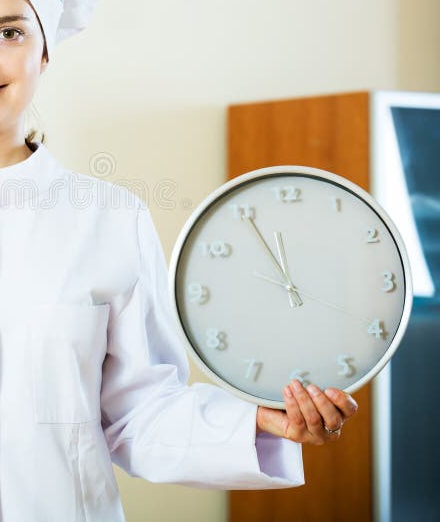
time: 11:55
